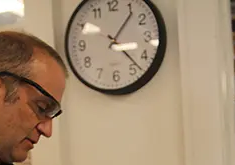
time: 3:06
